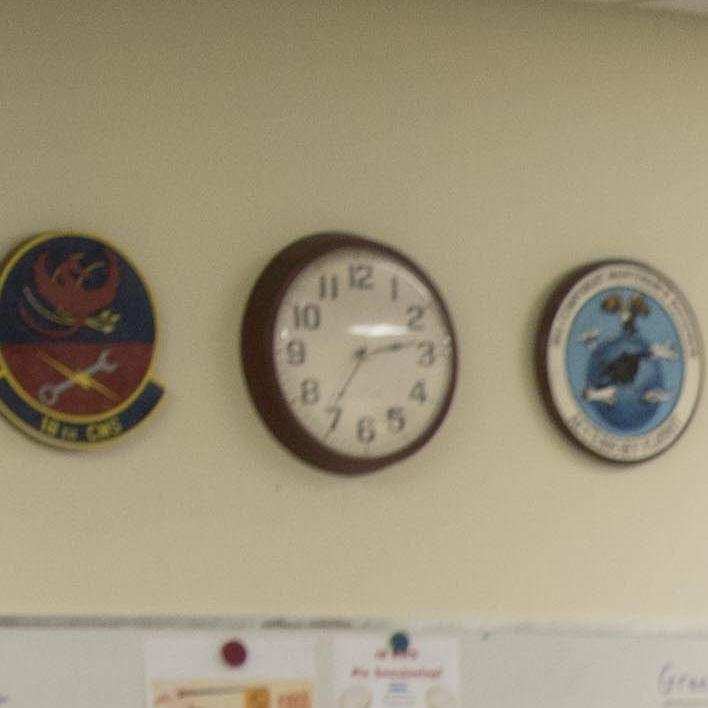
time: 2:35
